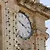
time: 3:48
